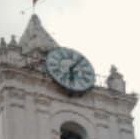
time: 6:06
